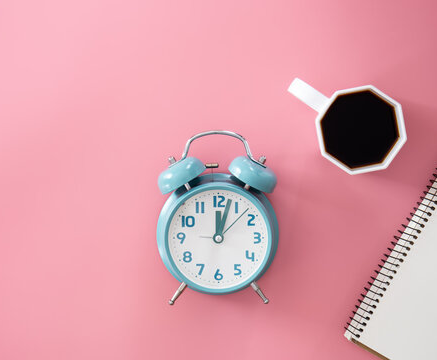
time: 12:03
